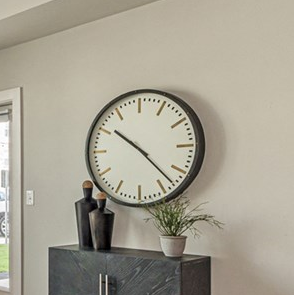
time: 10:22
